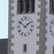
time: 1:51
